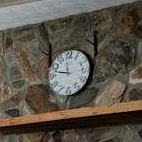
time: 11:46
